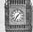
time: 7:07
